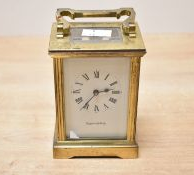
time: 2:38
